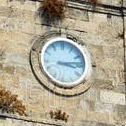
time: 3:13
